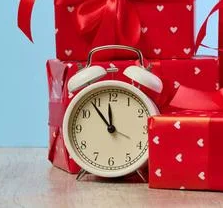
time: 11:53
